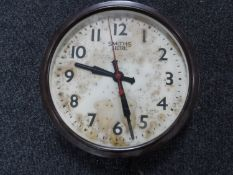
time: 9:27
